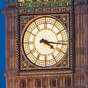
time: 4:16
